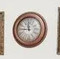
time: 11:45
